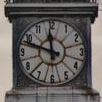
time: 11:48
